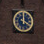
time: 4:00
